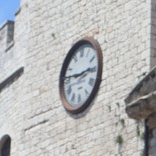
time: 2:46
